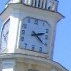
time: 2:21
